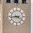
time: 3:43
